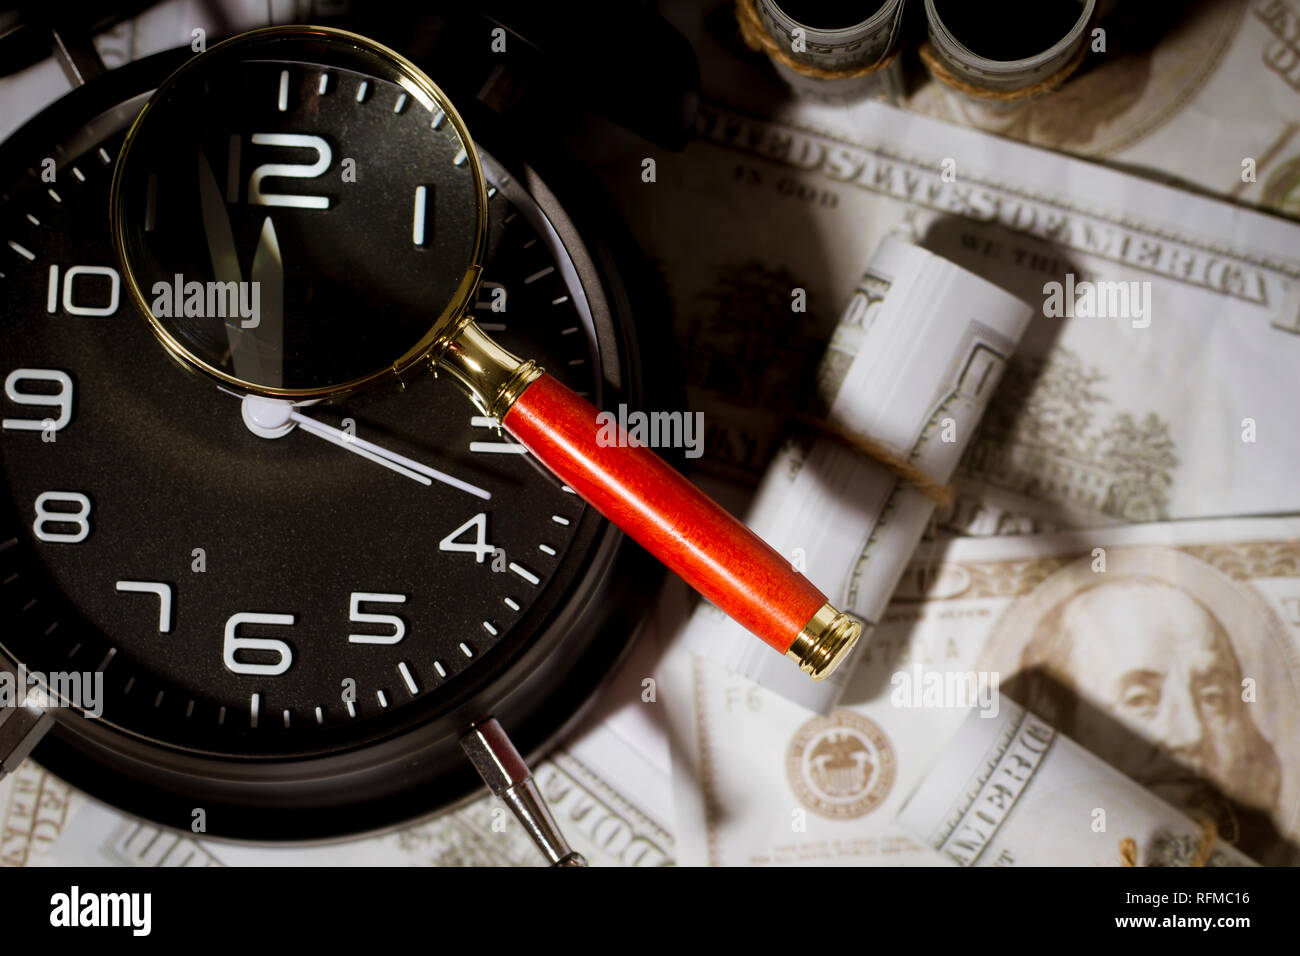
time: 10:18
